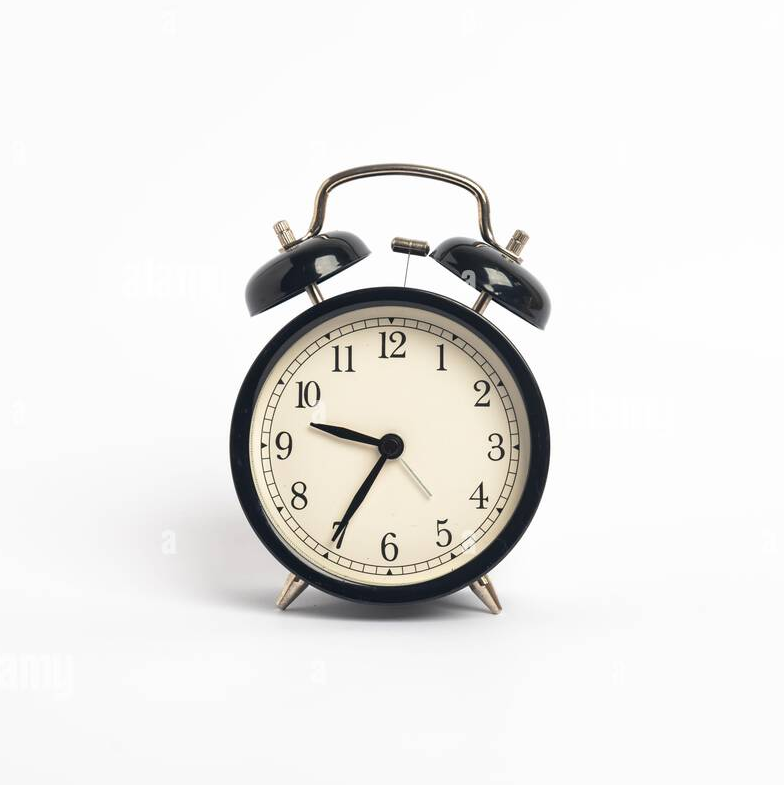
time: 9:35
